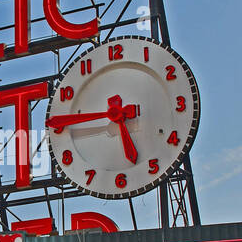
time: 5:44
